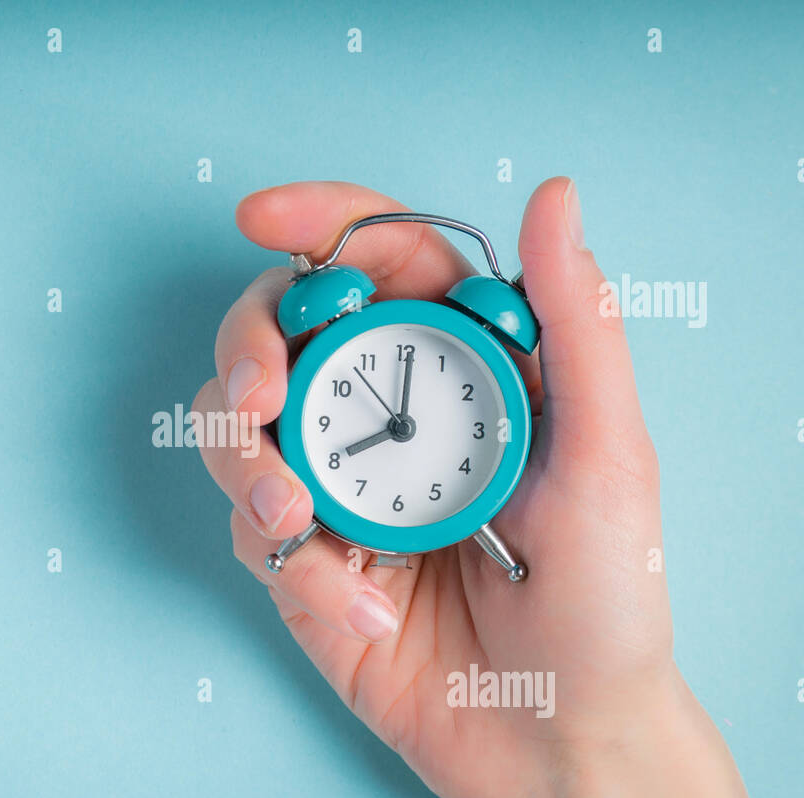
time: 8:01
